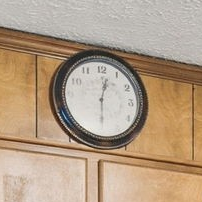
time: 12:29
